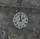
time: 1:59
